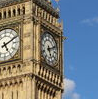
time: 5:11
